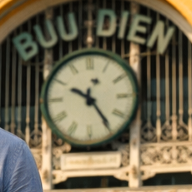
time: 10:24
